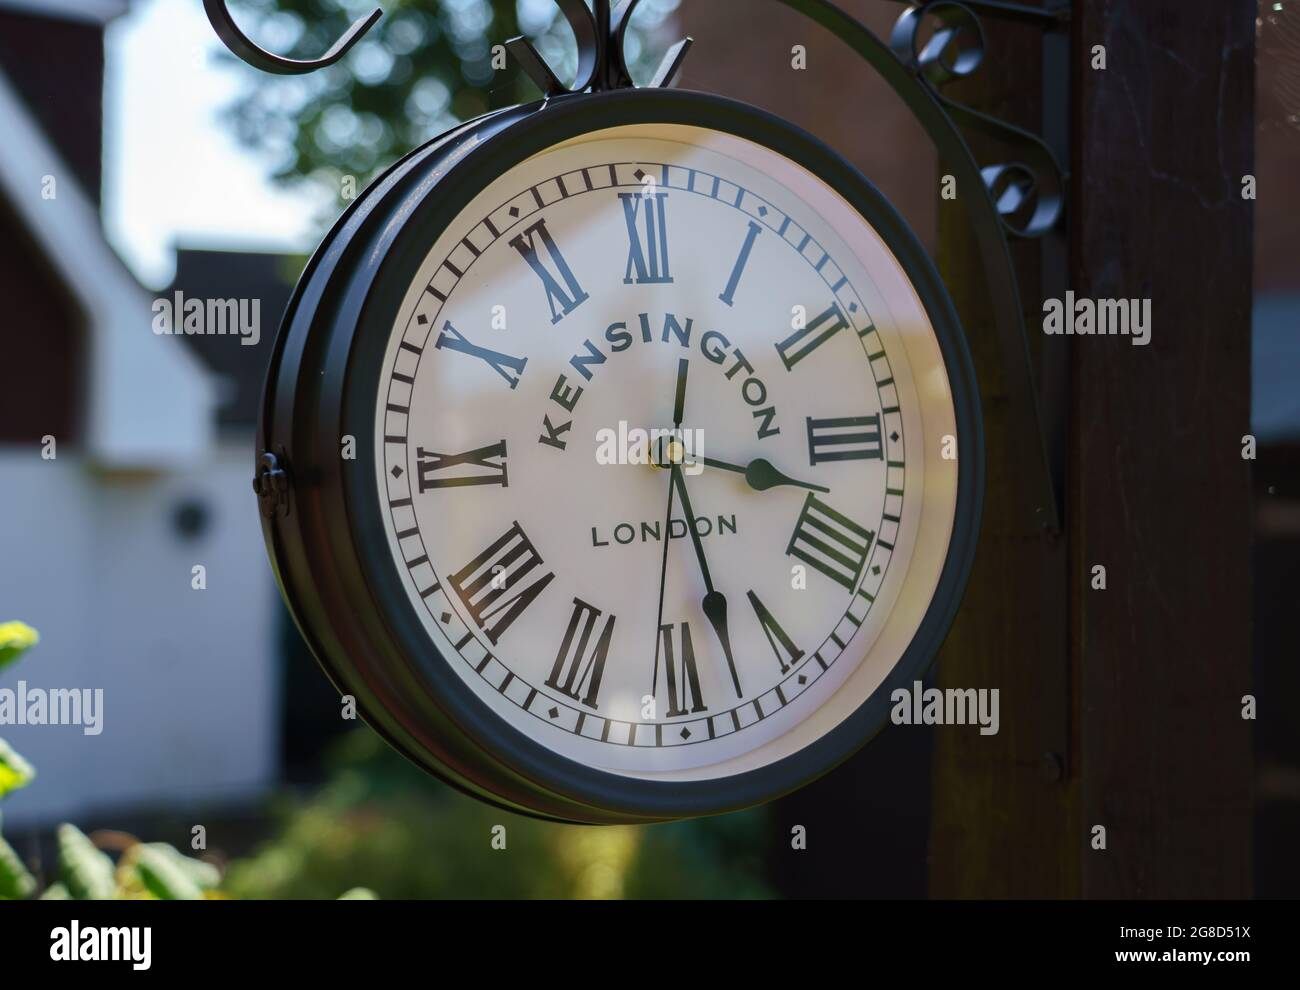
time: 3:27
